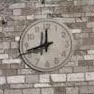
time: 11:42
